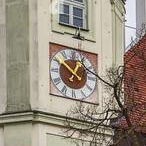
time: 12:51
